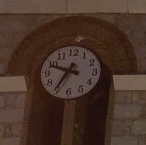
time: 9:35
